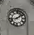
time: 1:42
